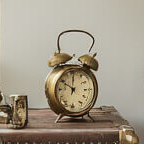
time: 10:00
